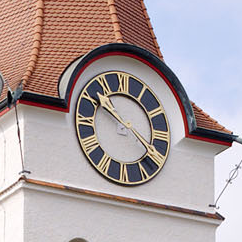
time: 3:50
